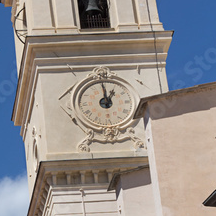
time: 12:59
